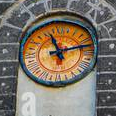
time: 11:12
